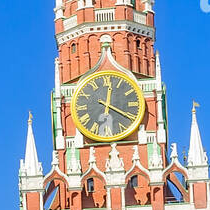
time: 12:20
